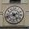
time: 4:42
